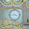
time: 3:43
